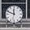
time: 11:48
